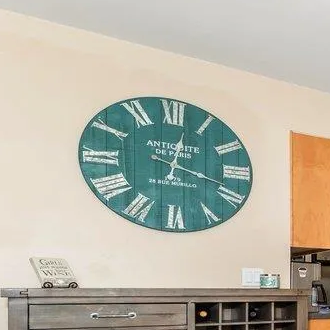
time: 12:18
